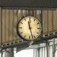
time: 11:27
